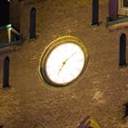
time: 7:08
